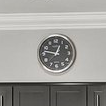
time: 12:47
